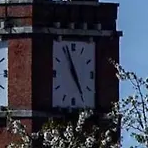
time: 4:56
